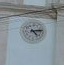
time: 4:13
